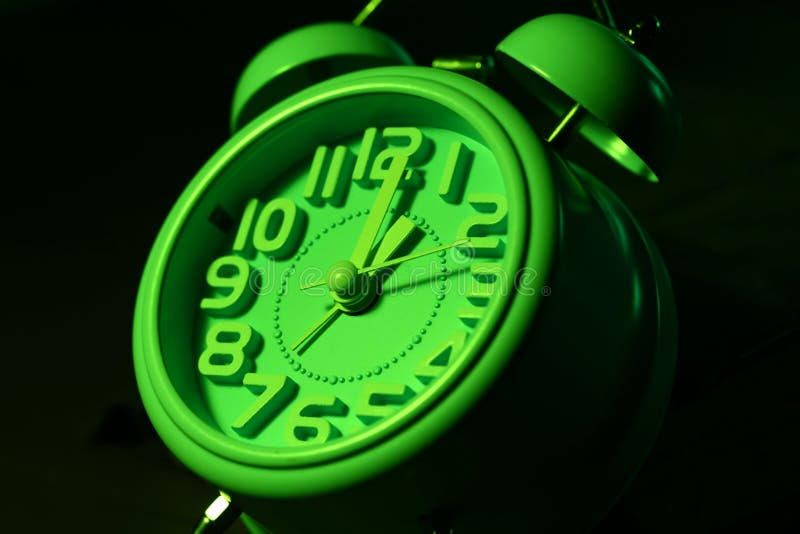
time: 1:01
